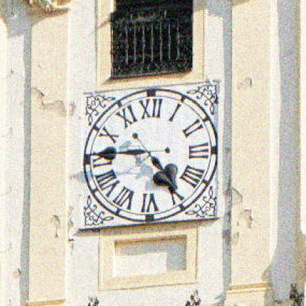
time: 4:45
